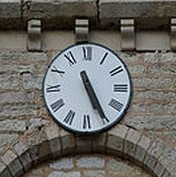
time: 11:25
